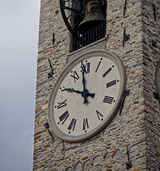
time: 9:58
